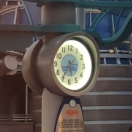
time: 5:35
